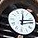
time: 12:12
